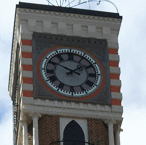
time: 1:49
